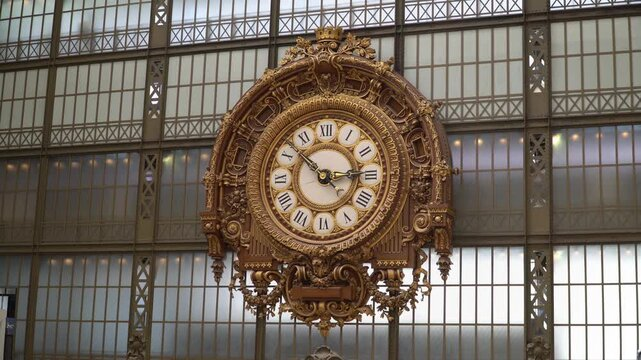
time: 2:52
